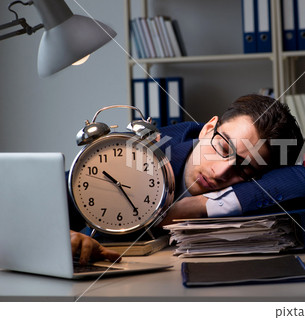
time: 10:24
